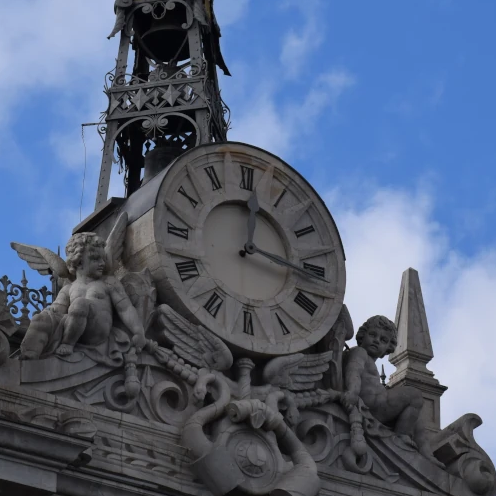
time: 12:16
